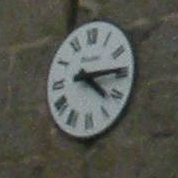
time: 4:14
